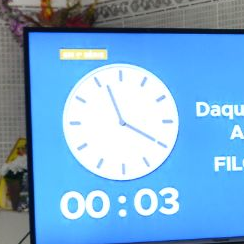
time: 11:19
